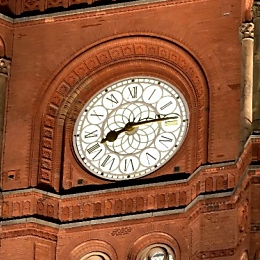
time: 8:14
